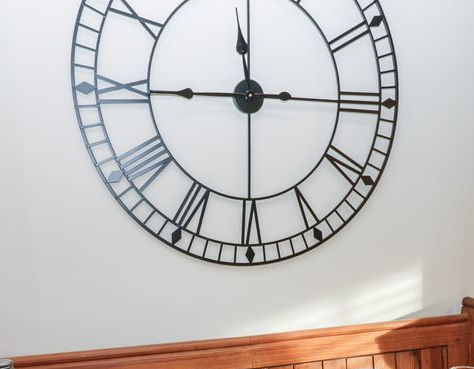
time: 11:45
